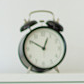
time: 12:50
